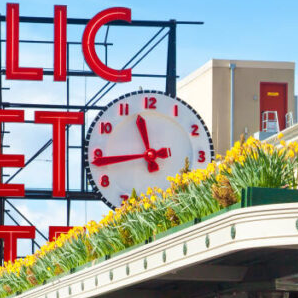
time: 11:43
